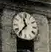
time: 11:36
